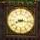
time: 8:16
